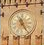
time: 11:23
